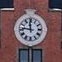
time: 11:46
